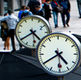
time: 4:39
